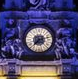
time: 7:12
